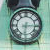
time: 6:15
